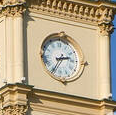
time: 2:35
